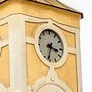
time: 3:32
